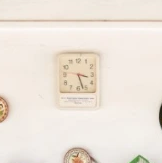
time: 3:26
